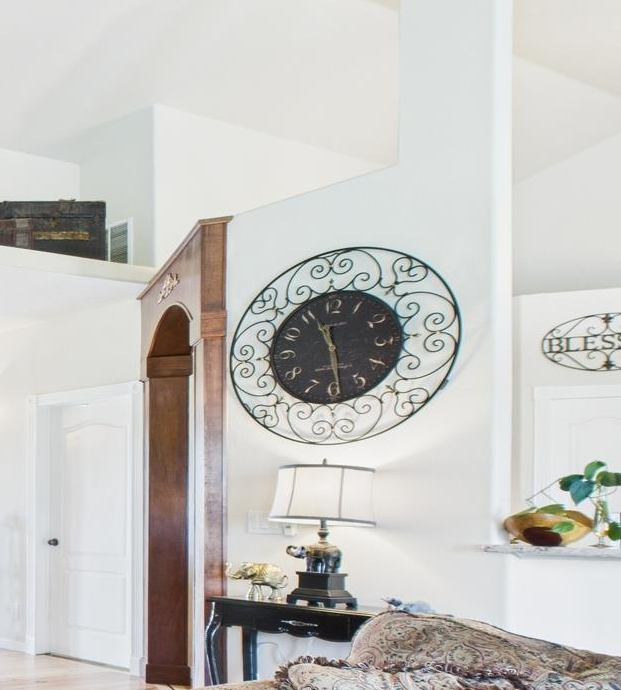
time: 11:28
